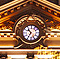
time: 10:34
